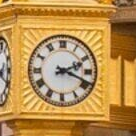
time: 2:18
